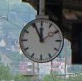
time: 11:55
